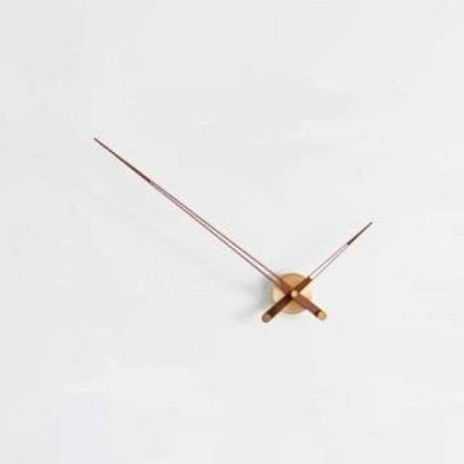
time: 1:50
